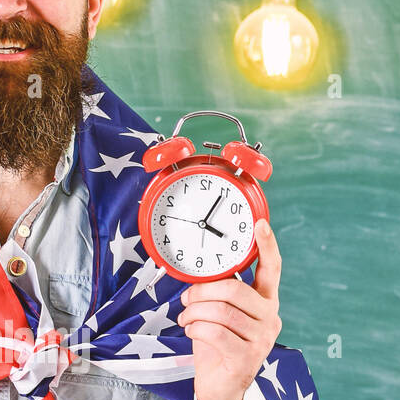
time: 4:04
